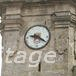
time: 9:20
